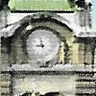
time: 8:57
